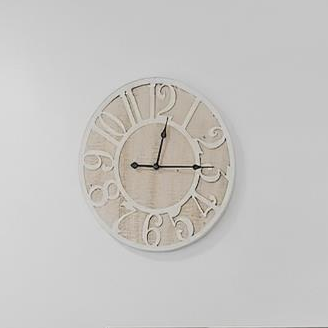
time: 12:14
